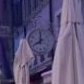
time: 7:59
